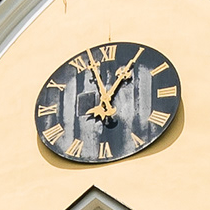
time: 12:57
